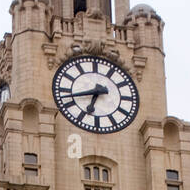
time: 6:42
